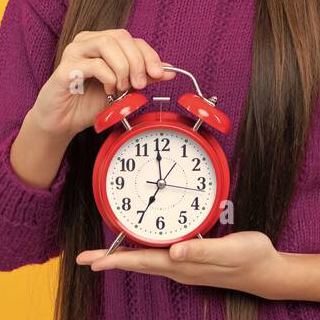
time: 6:59
